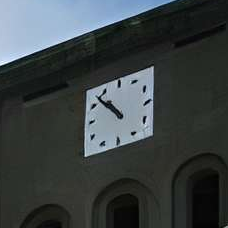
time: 10:52
